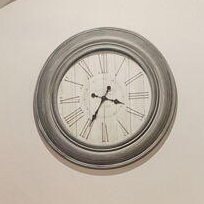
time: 3:34
